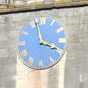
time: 3:57
